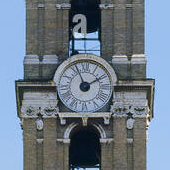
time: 1:56
